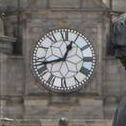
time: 12:42
